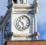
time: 10:28
